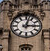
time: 3:02
